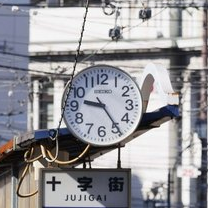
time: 9:24
